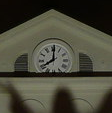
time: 8:00
